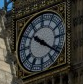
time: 10:21
